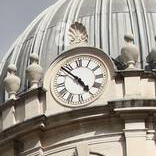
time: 4:52
